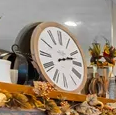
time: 2:12
